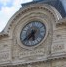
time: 5:38
